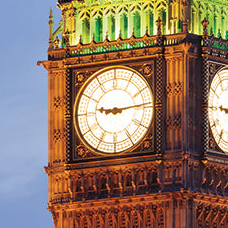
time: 9:13
